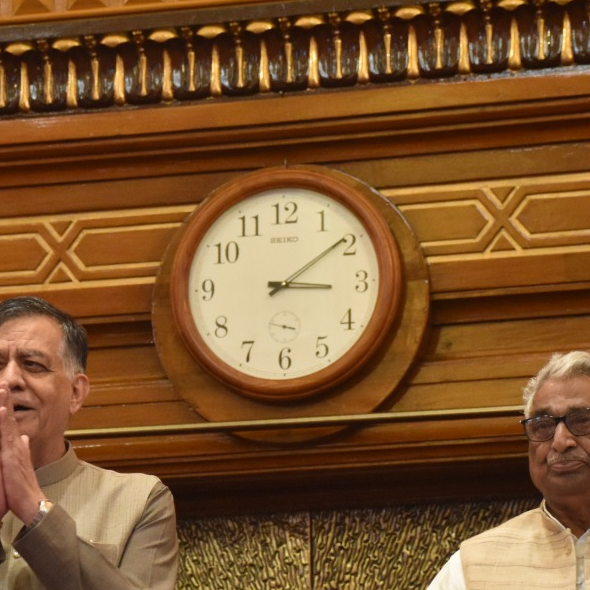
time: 3:09
